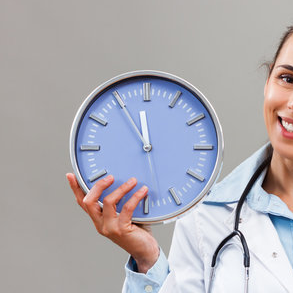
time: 11:54
